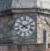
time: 4:10
